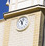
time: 11:02
